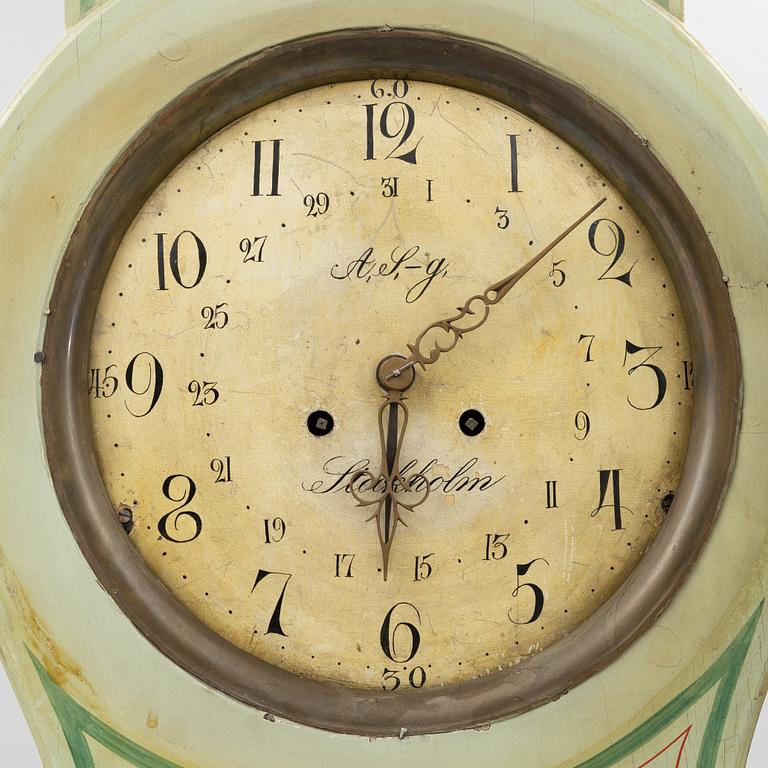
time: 6:08
